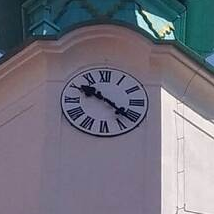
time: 10:21
